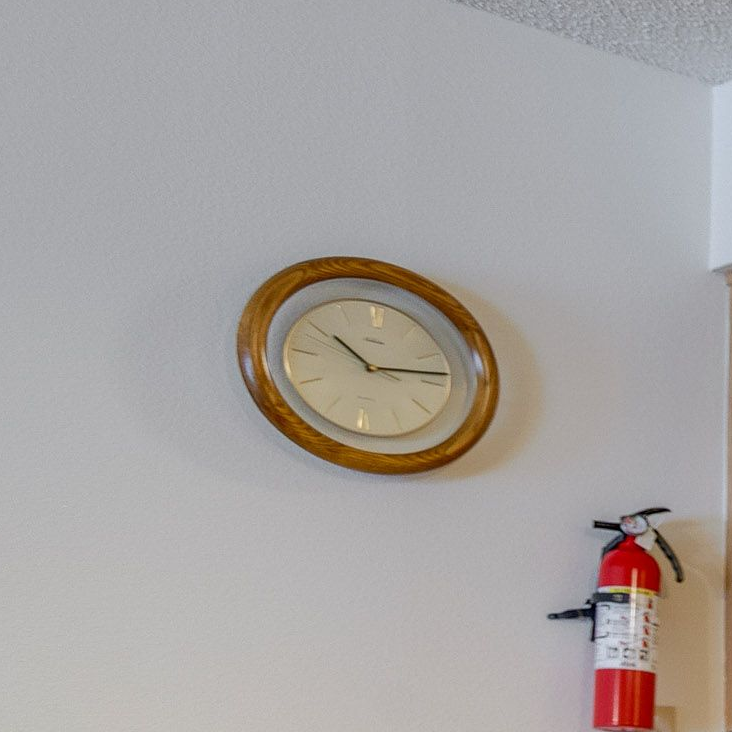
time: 10:13
